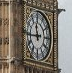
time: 11:44
